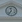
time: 11:36
